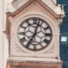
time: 7:03
